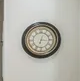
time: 6:15
